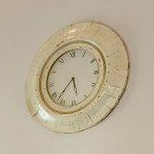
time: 5:37
